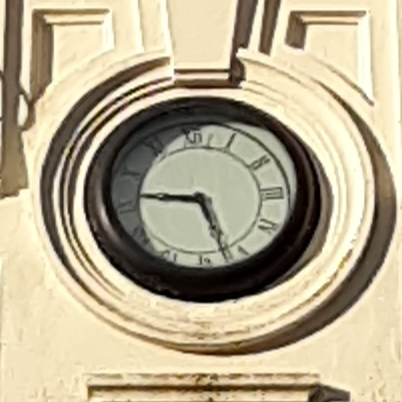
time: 9:27
